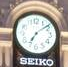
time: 7:08
